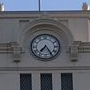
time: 7:24
